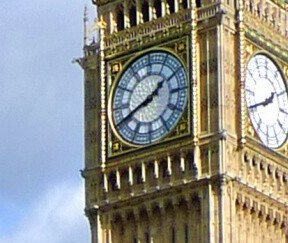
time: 1:41
